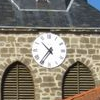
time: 10:36
